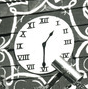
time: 1:29
